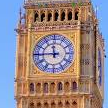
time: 11:45
